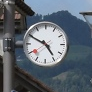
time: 4:49
